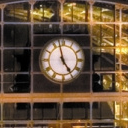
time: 4:57
